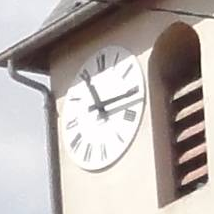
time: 11:15
